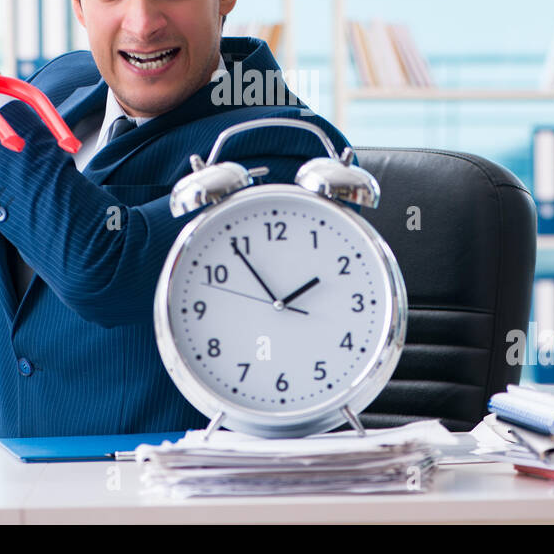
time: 1:54
